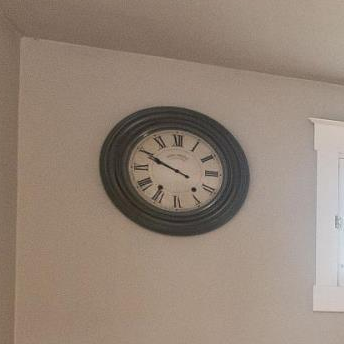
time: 9:50
